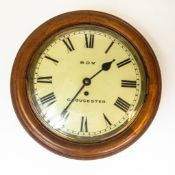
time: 1:35
